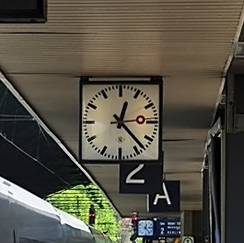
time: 12:23
